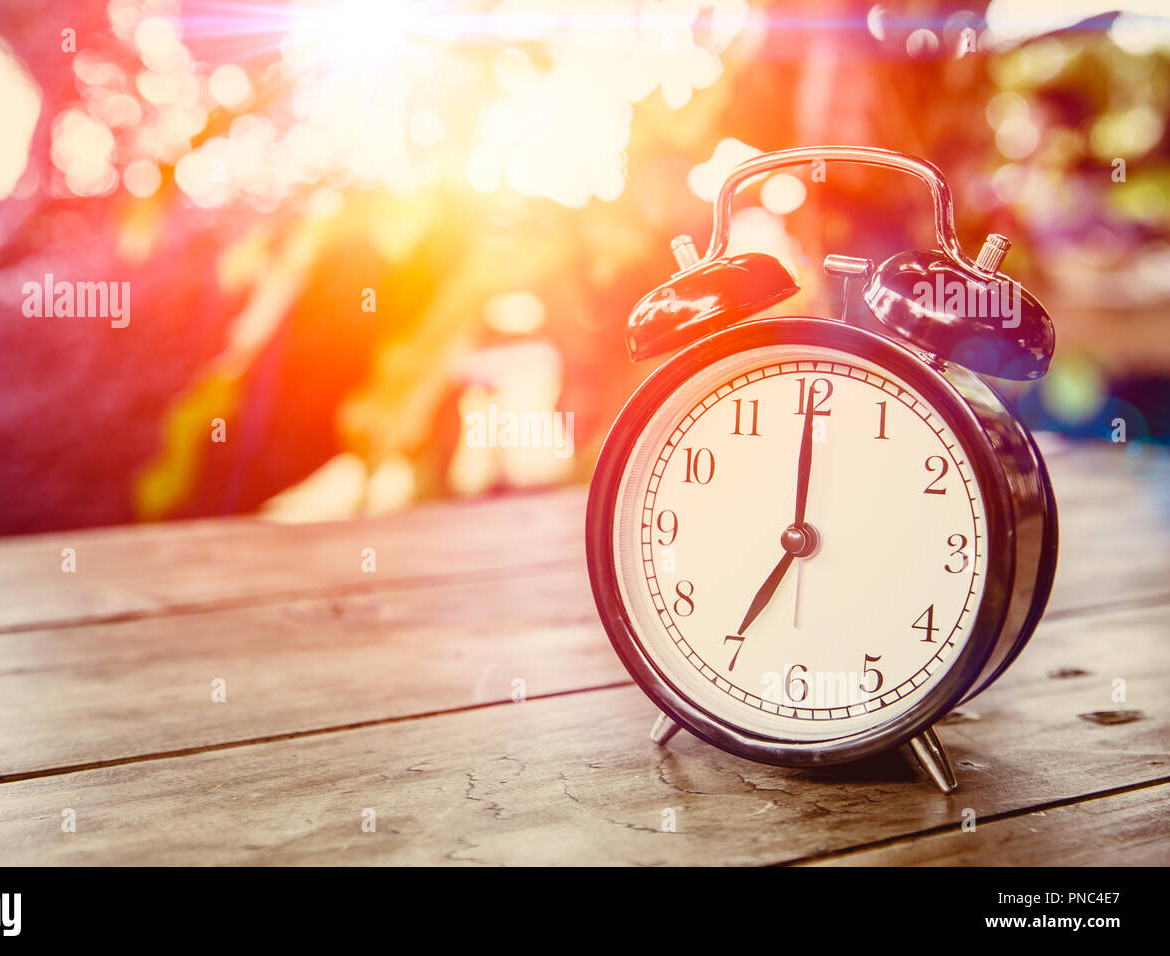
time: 7:00
